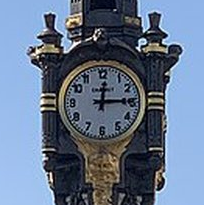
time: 12:14
